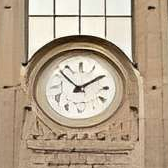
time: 1:52
